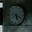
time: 5:18
